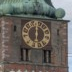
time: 5:59
